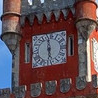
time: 5:59
